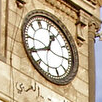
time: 12:39
